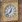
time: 12:37
